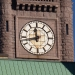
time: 11:42
